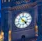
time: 4:23
